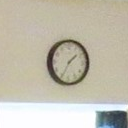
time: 1:34
